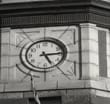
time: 5:14
